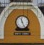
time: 11:25
